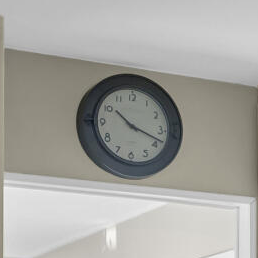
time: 10:18
